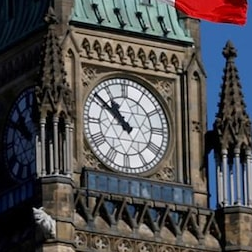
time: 10:51
